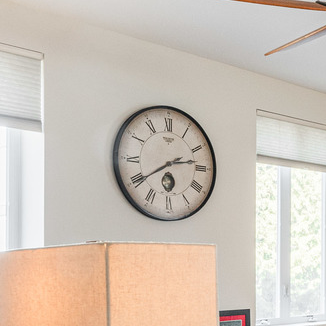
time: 2:39
